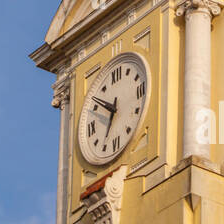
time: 6:50
